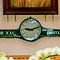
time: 9:12
